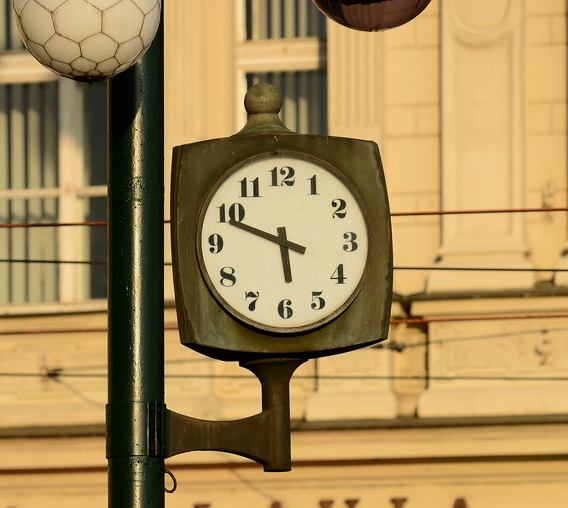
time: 5:48
